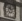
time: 10:12
